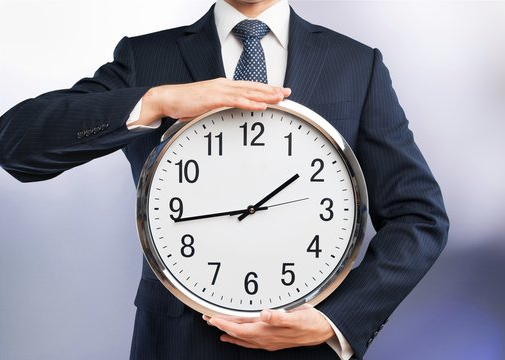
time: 1:43
